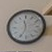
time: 11:33
